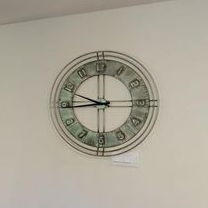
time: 9:44
